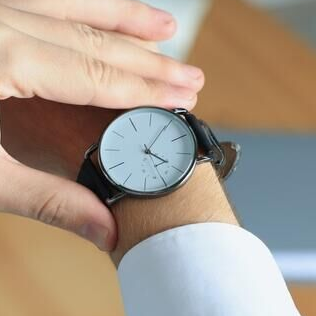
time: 4:04
